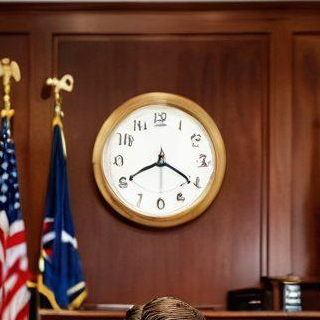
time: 8:20
